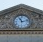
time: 11:12
